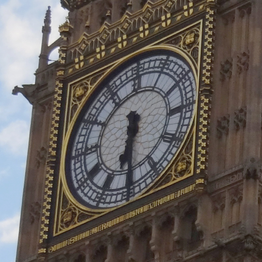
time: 6:30
